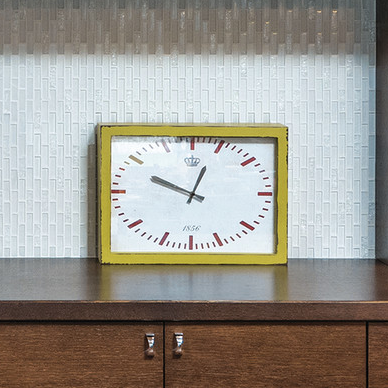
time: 12:48
